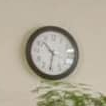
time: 10:31
